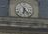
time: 6:23
